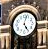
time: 5:03
